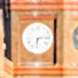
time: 6:13
